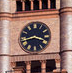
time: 3:42
